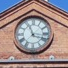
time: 11:17
